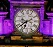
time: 6:39
